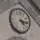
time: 4:16
